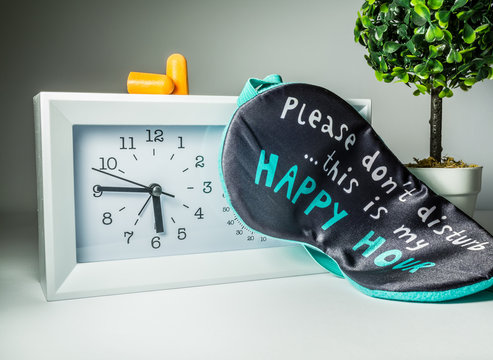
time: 5:45
